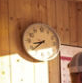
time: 8:38
